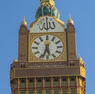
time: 5:33
